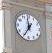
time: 11:35
